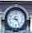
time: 9:23
